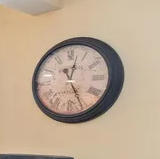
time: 12:25
